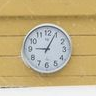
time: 9:04
